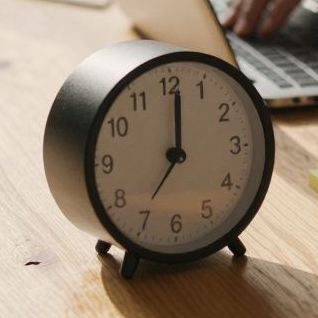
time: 7:01
